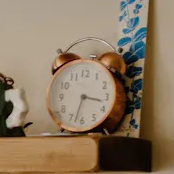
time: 3:32
